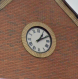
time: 1:10
